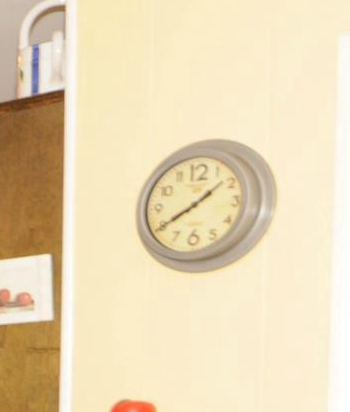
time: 1:39
